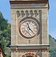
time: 11:22
